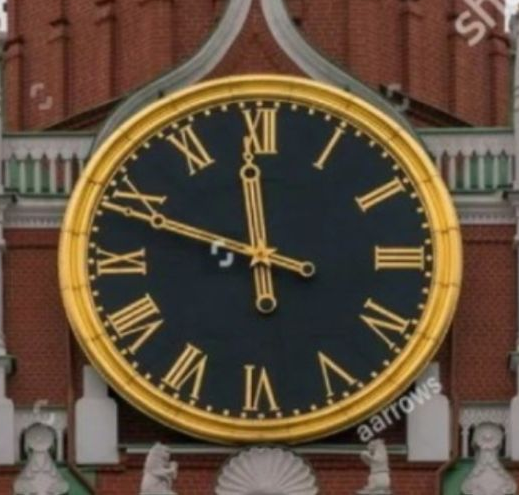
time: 11:48
